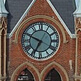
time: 6:49
